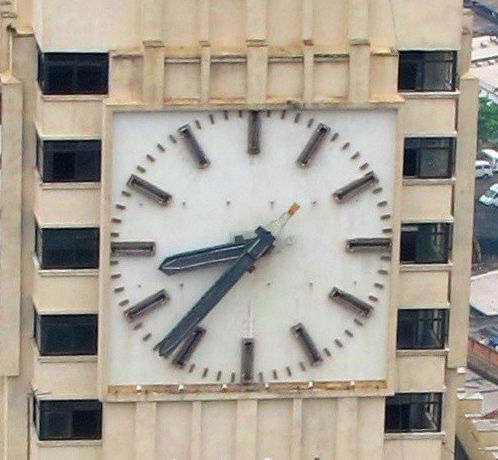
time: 8:36
